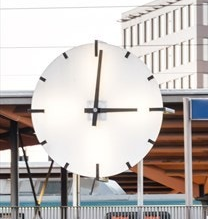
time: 3:00
